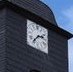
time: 2:36
